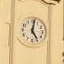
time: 5:01
